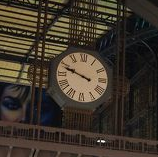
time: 9:48
